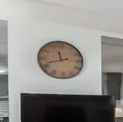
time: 11:41
